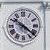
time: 10:21
